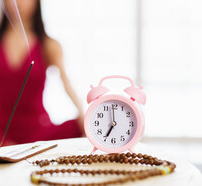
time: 6:59
